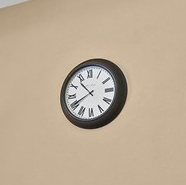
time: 10:40
